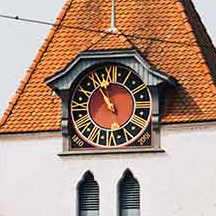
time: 10:55
